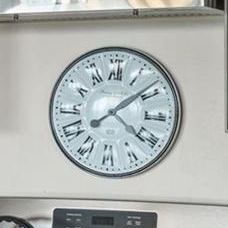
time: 4:08
